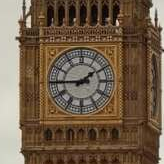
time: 1:45
